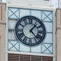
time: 1:23
